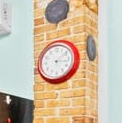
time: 3:09
